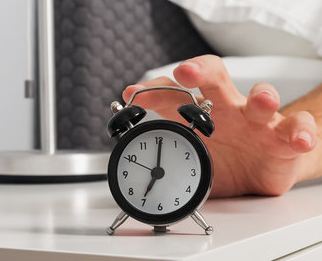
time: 7:01
